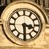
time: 3:29
